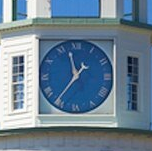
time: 11:36
